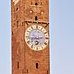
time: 6:13
